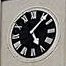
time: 5:06
